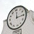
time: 12:14
